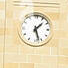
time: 1:27
